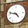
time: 4:47
